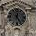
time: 12:24
